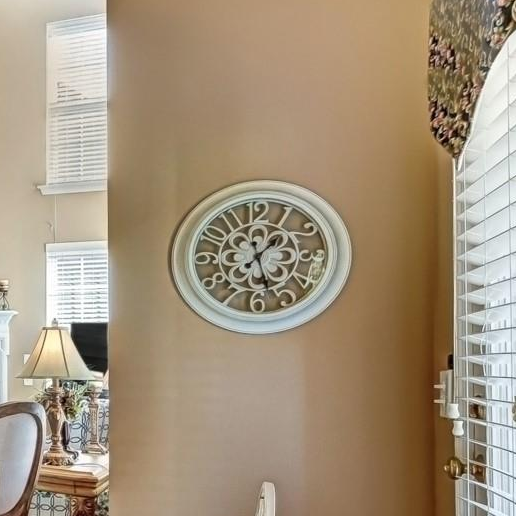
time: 1:27
